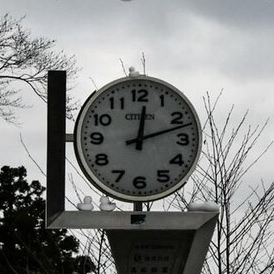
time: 12:12
